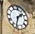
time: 1:32
